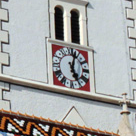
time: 5:03
